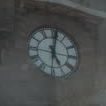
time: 5:00
